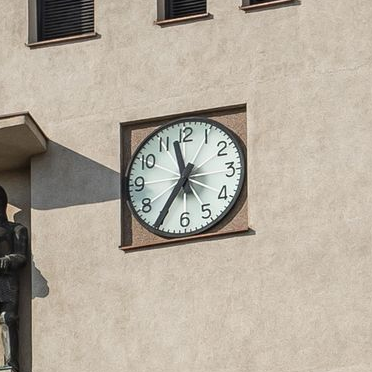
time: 11:35
